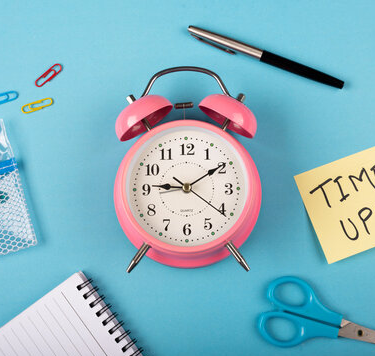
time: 9:09
